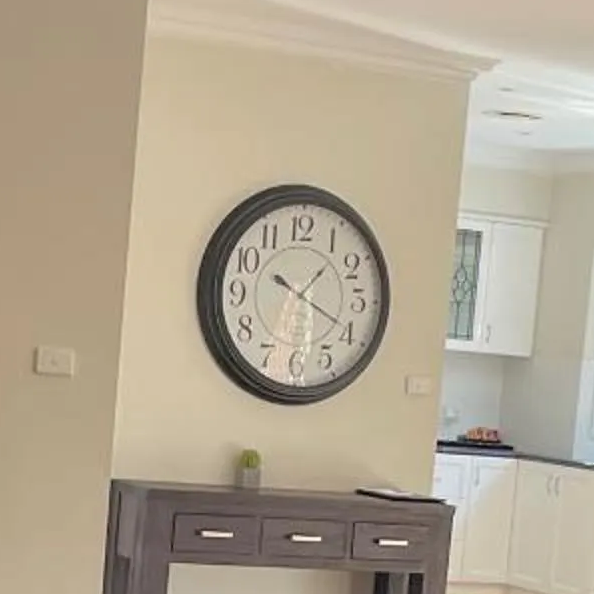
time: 1:19
